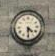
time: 4:29
